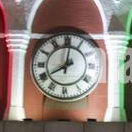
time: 8:01
